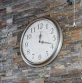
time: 12:18
